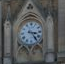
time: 3:23
